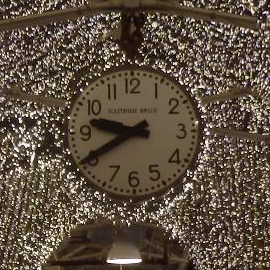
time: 9:40
